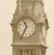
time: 11:35
